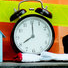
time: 8:00
